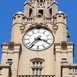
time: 3:36
